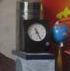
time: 11:25
